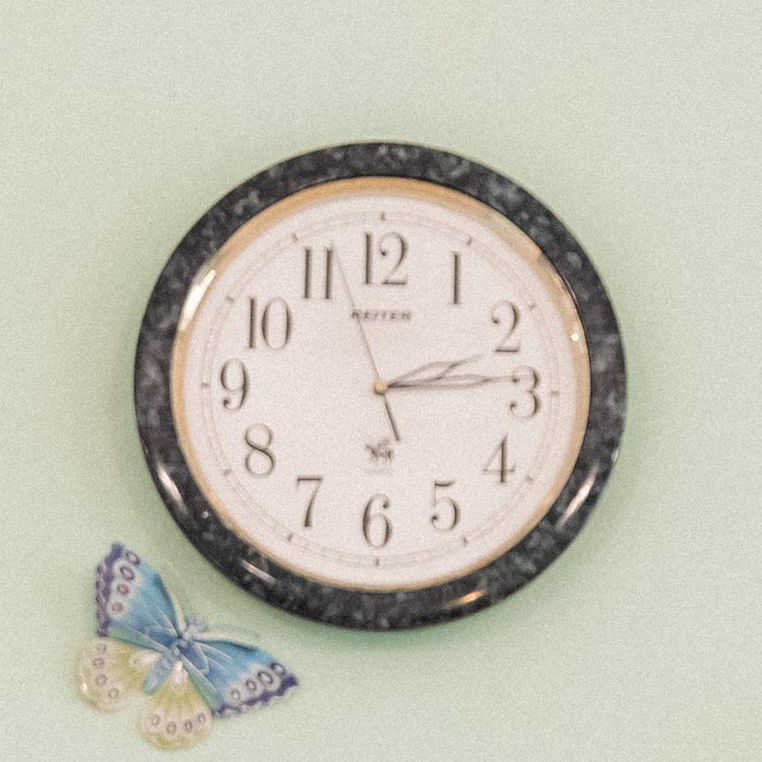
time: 2:13
